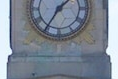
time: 1:35
